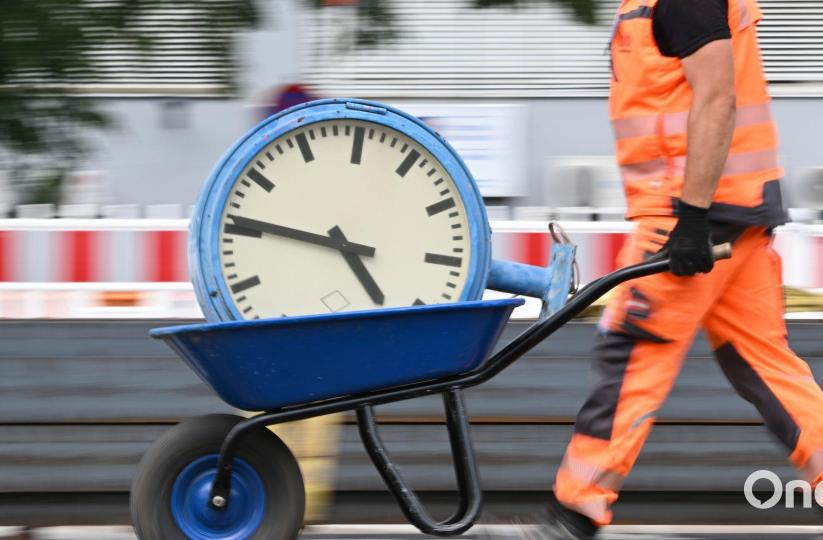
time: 4:46
